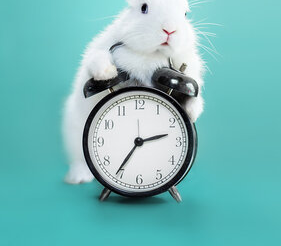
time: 2:36
